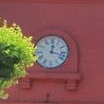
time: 12:17
